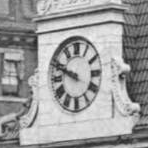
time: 9:48
